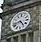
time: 4:42
